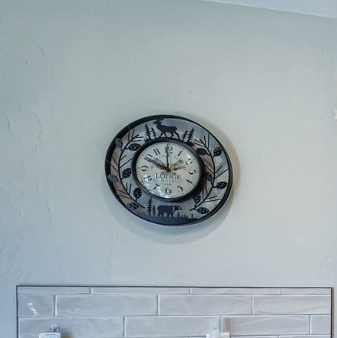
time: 10:00
